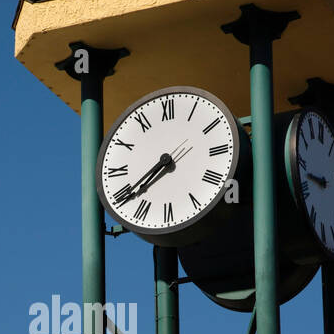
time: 7:39
